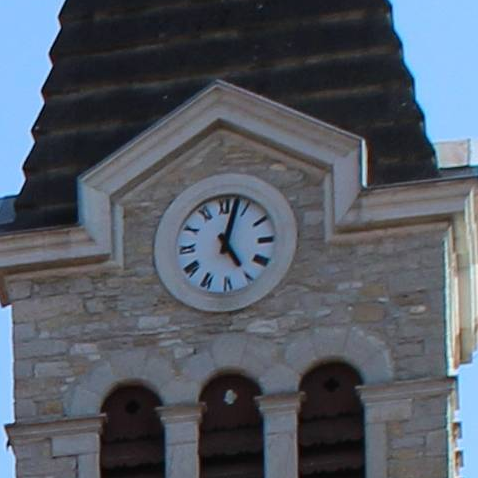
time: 5:02
